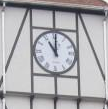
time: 11:00
